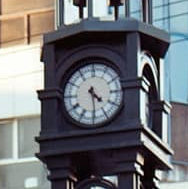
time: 4:29
